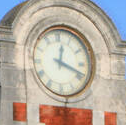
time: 12:18
